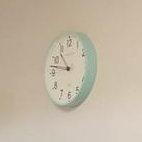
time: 10:47
